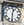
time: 12:30
